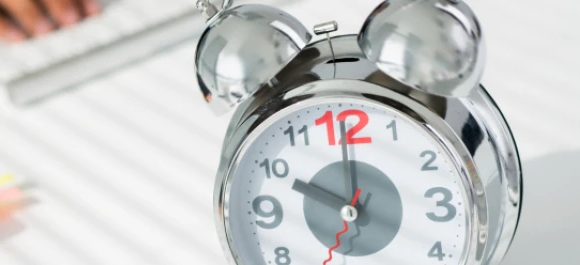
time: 10:00
